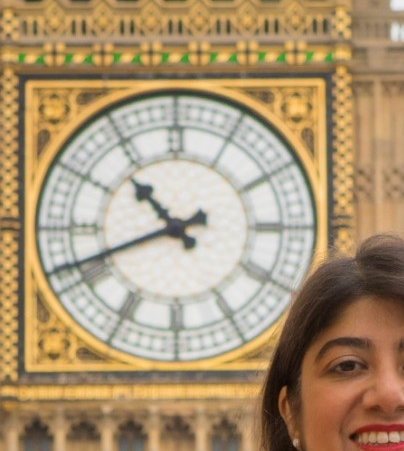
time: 10:41
